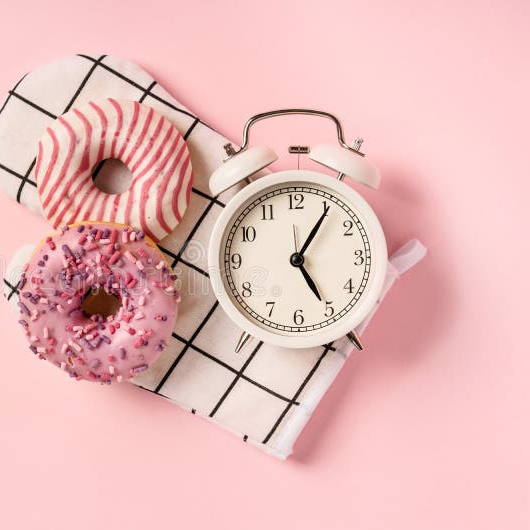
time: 5:05
